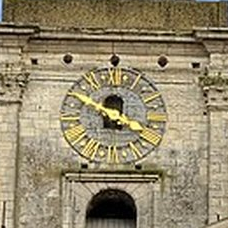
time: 3:50
